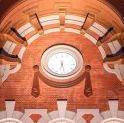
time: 6:27
